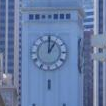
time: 1:00
